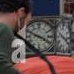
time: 3:48
